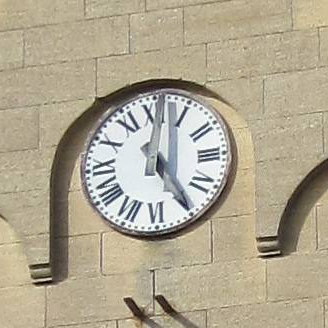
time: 5:01
